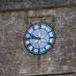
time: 9:45
